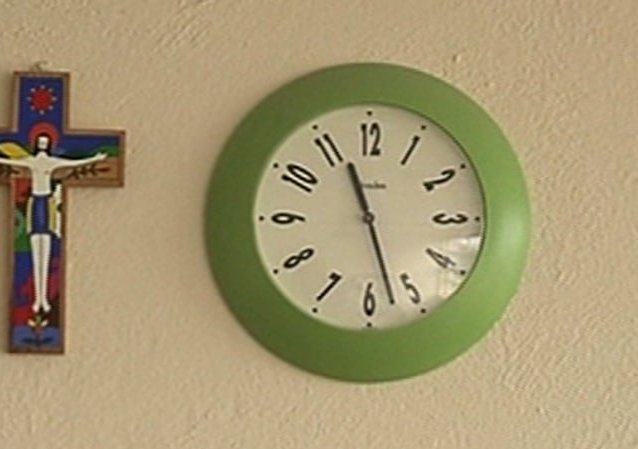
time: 11:27
